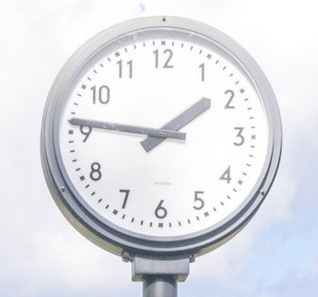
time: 1:46
